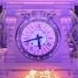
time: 5:42
